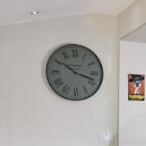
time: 10:18
